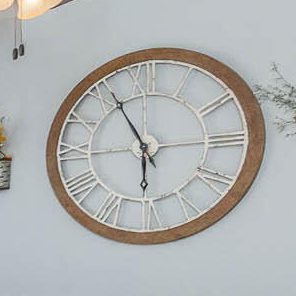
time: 5:55
